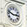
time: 2:47
